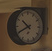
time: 10:40
